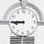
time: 8:45
